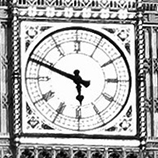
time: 5:48
